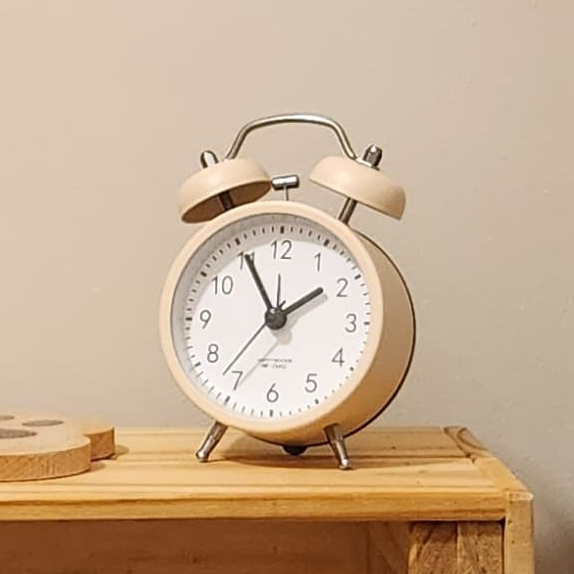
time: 1:55
